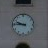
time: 9:45
